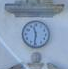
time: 11:31
